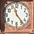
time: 11:23
